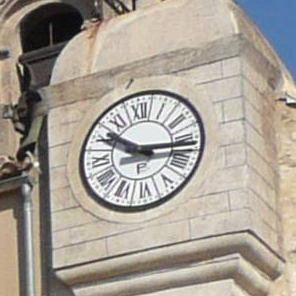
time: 10:15
